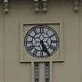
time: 5:26
